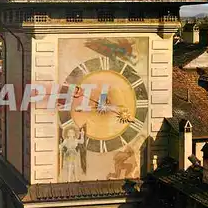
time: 12:19
